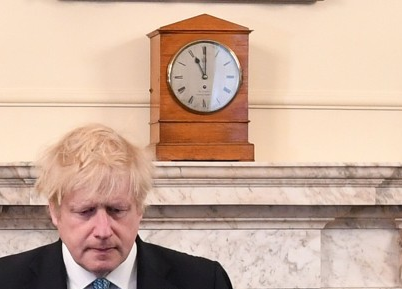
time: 11:00
